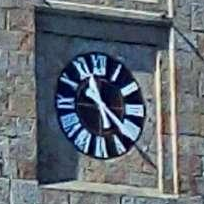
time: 11:21
